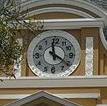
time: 11:21
